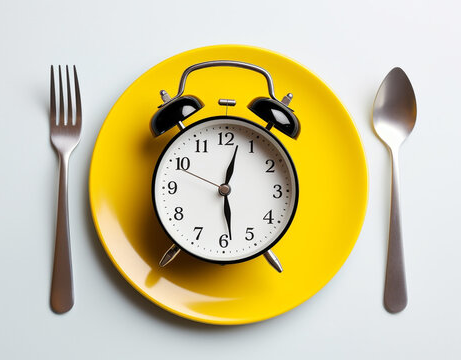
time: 12:28
